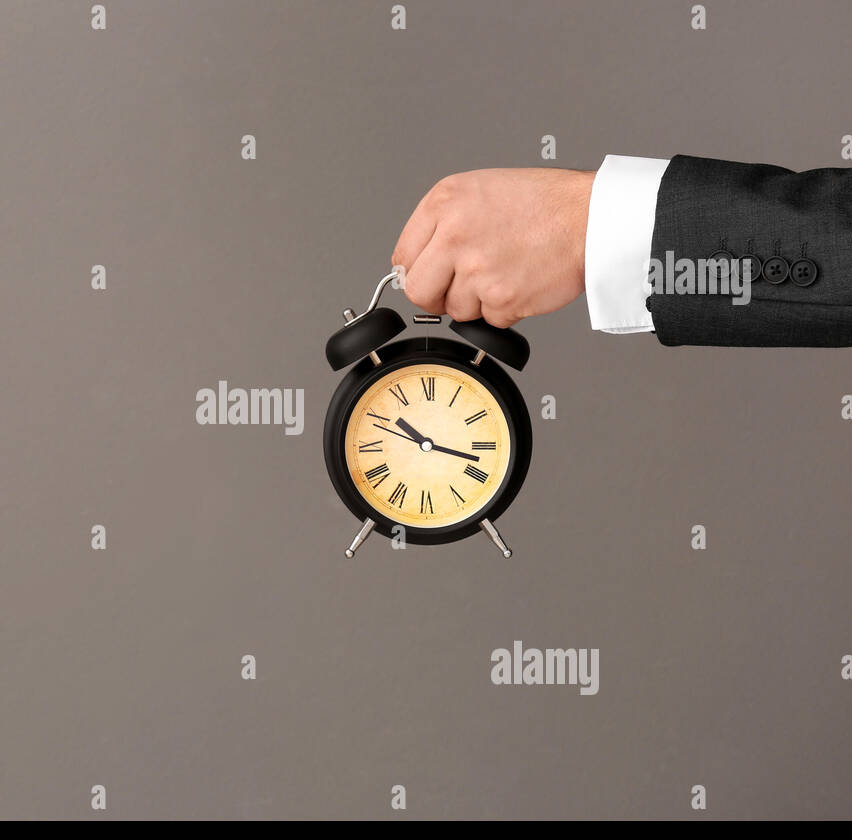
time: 10:17
